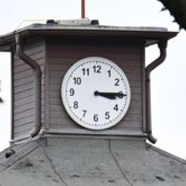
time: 3:14
